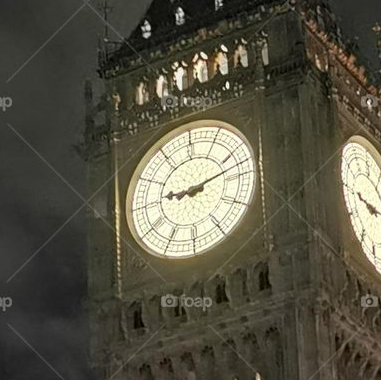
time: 9:12
